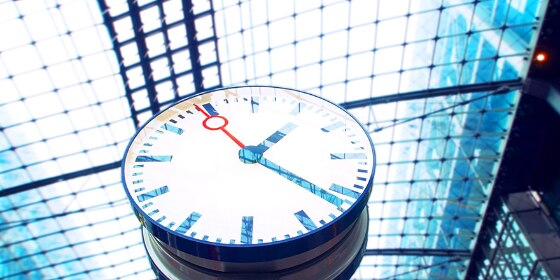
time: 1:21
